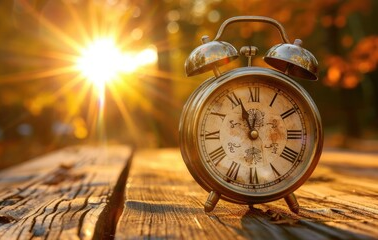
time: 11:56
